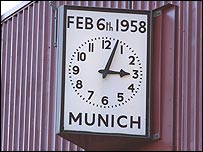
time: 3:03
